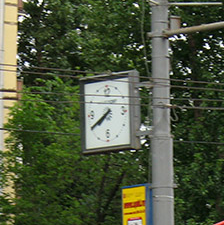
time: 7:40
